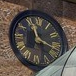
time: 11:18
